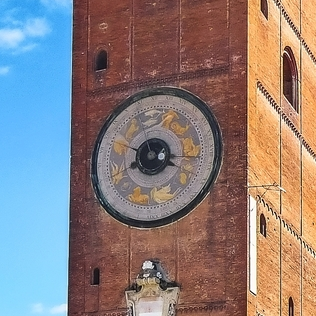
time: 3:40
